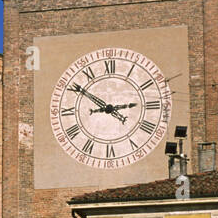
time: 2:50
